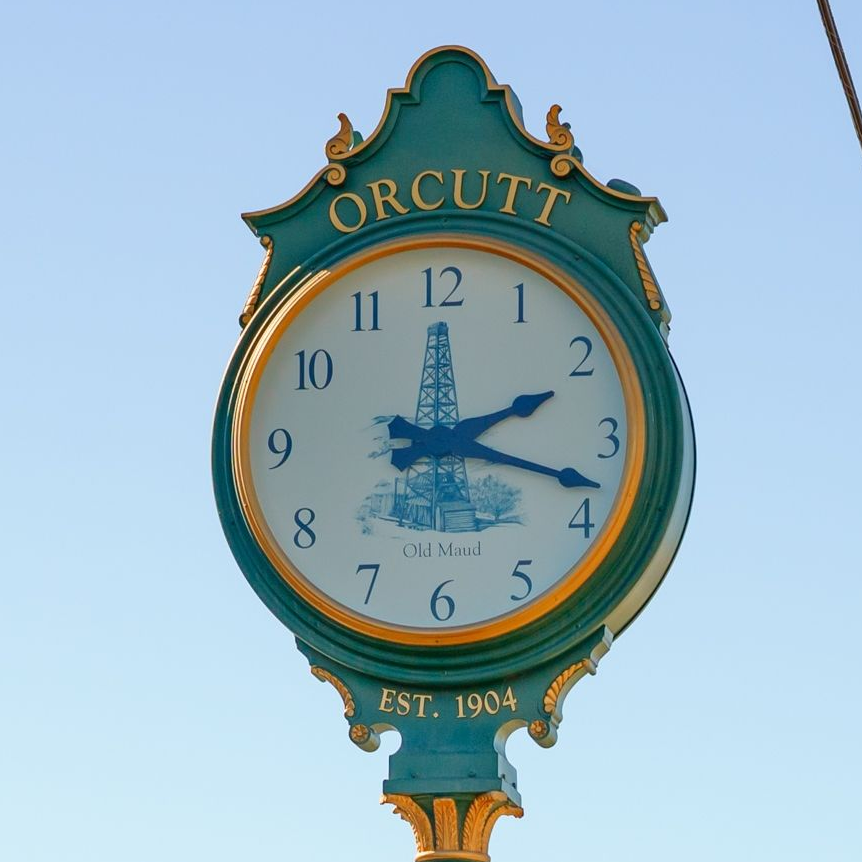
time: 2:17
